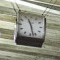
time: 11:27
